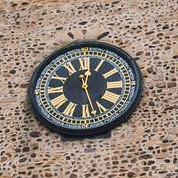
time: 12:27
